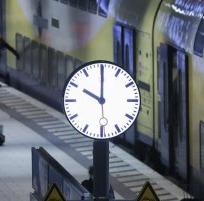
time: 10:00
